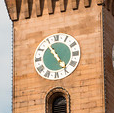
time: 4:54
